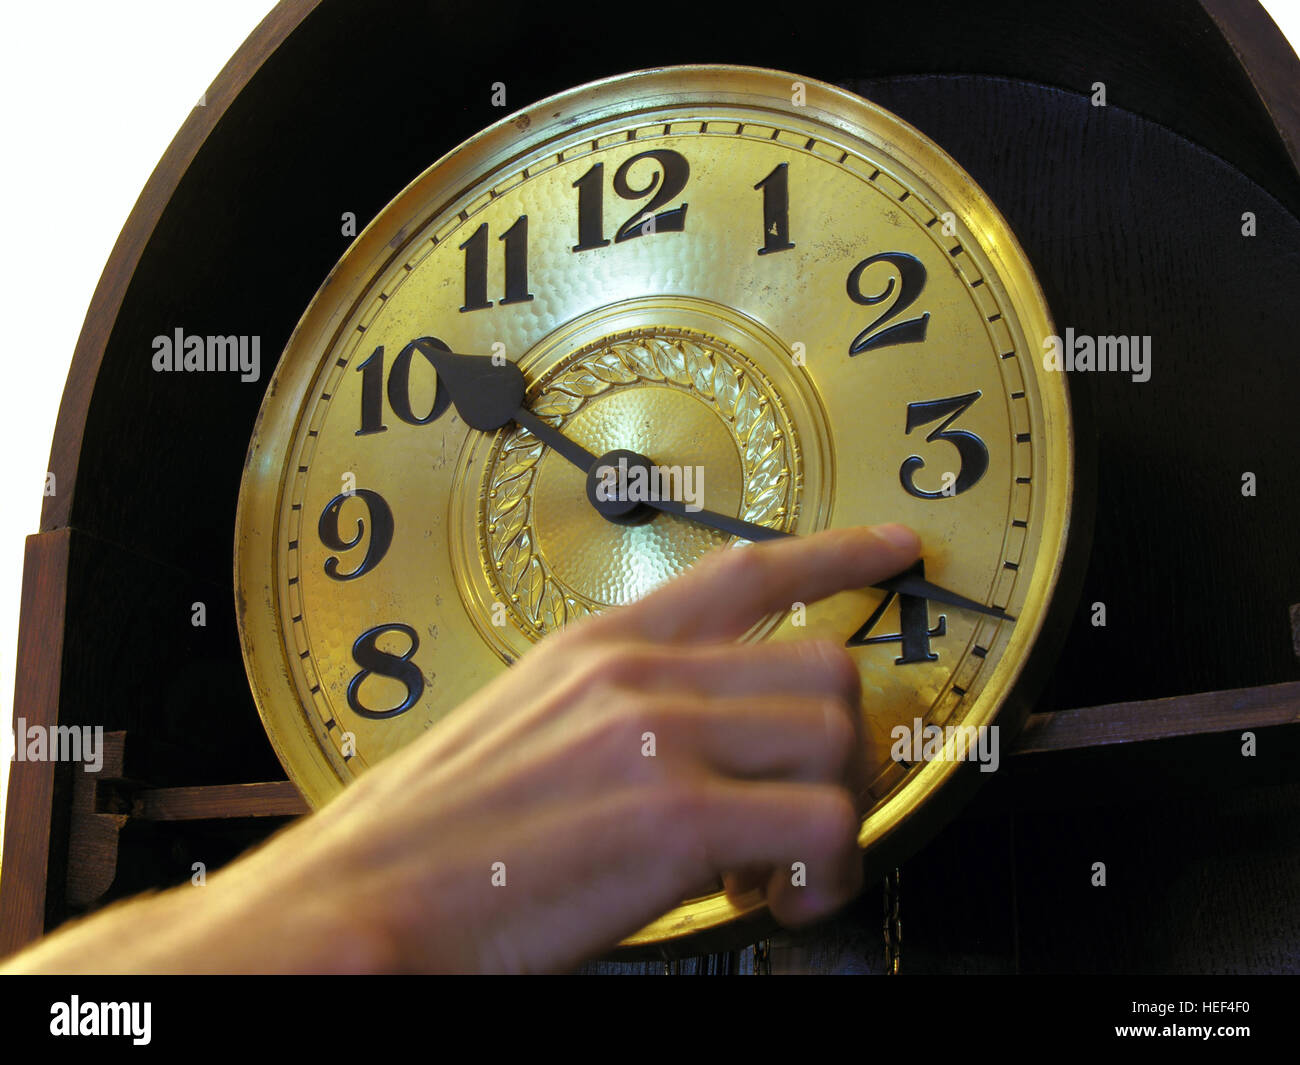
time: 10:18
